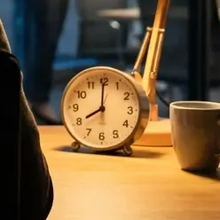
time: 8:00
